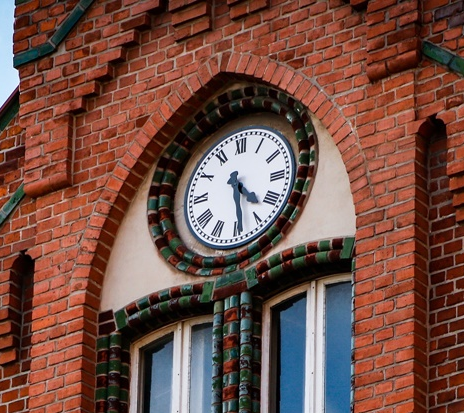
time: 4:28
